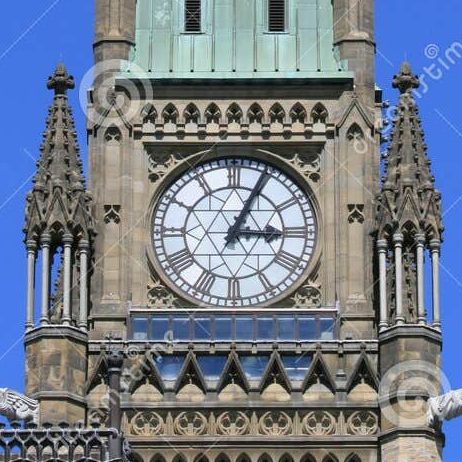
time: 3:04
